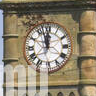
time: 11:57
